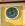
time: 7:58
